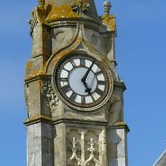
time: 5:05
